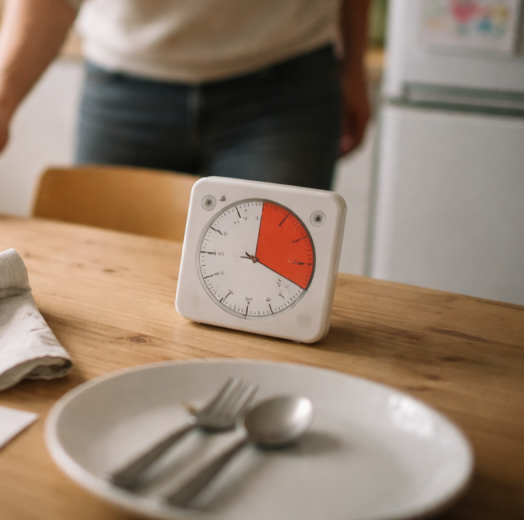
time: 12:18
